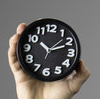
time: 10:11
